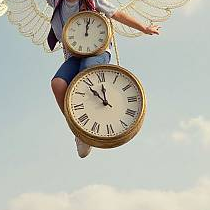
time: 11:53
